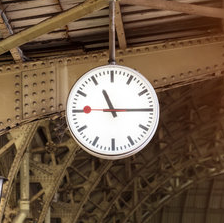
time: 11:14
